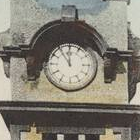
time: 11:54
